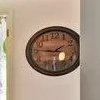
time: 1:46
